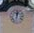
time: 12:02
